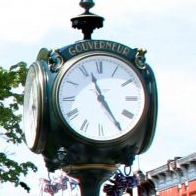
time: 11:24
